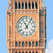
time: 11:05
